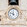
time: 11:47
